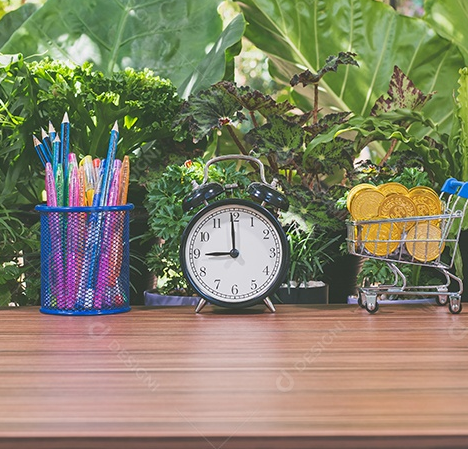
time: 8:59
